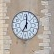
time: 7:00
